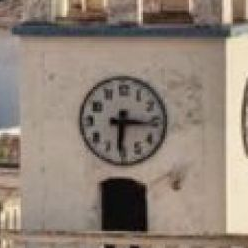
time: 6:15
